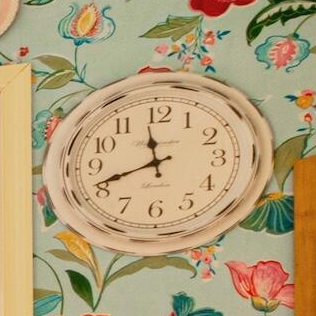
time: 11:41
